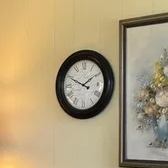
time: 1:49
